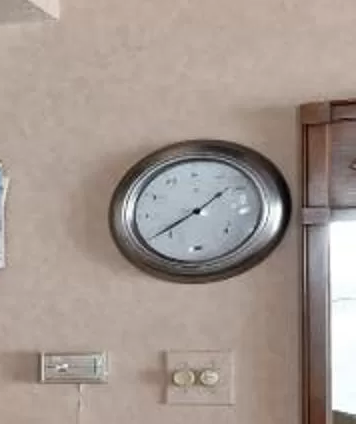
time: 1:39
